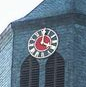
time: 4:01
